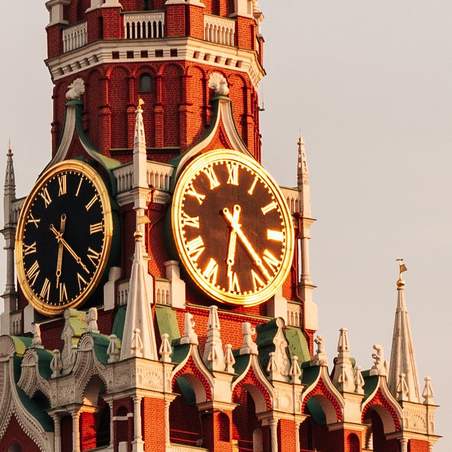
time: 6:22
